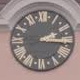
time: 2:15
